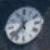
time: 11:37
